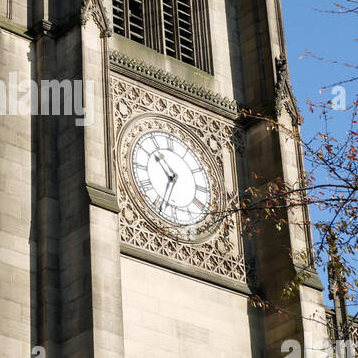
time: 10:34
